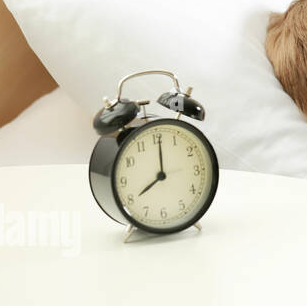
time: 8:01
